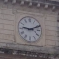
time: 9:11
